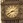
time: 2:40
